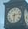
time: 6:13
